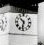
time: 10:32
